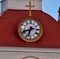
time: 6:41
